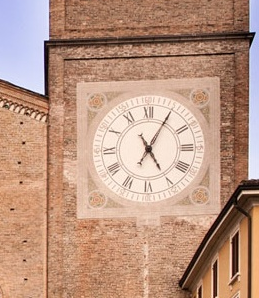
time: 5:04
